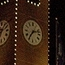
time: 2:36
